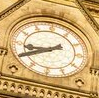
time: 8:40
